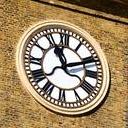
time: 11:10
